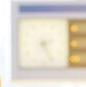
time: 5:12
